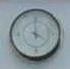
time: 4:00
